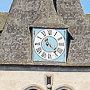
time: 11:22
